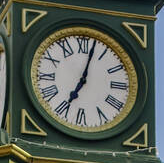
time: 7:02
